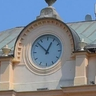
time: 12:52
